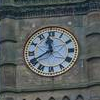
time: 11:40
